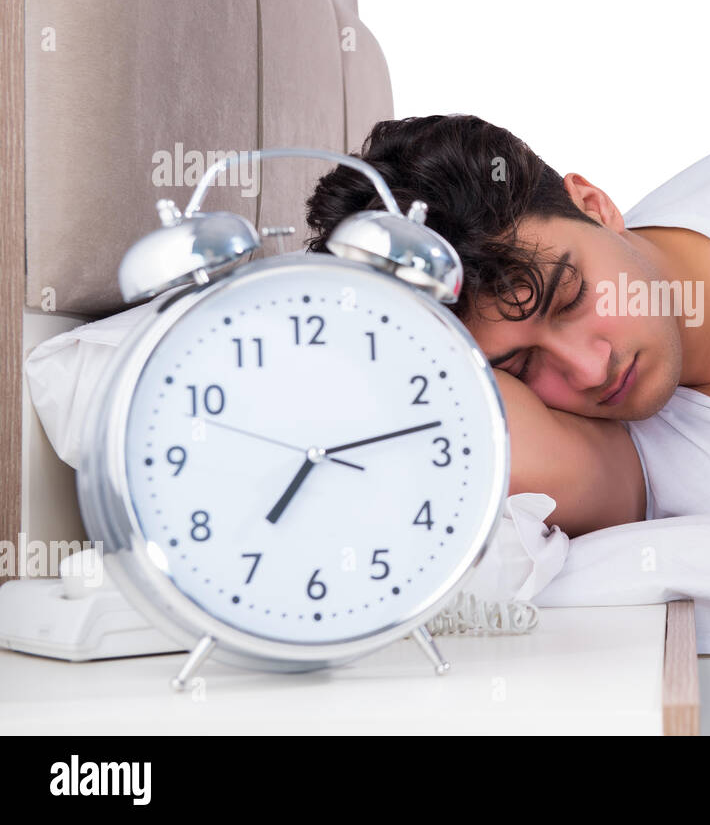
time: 7:12
